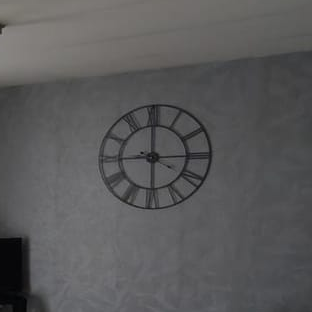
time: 5:59
